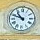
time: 10:48
